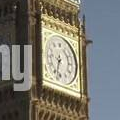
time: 6:32
